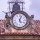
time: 5:03
